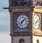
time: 7:08
